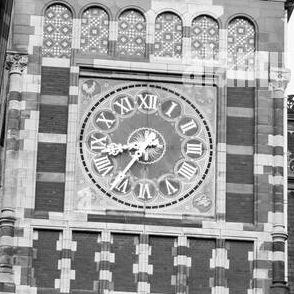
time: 8:36
